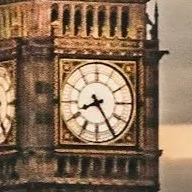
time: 8:24
